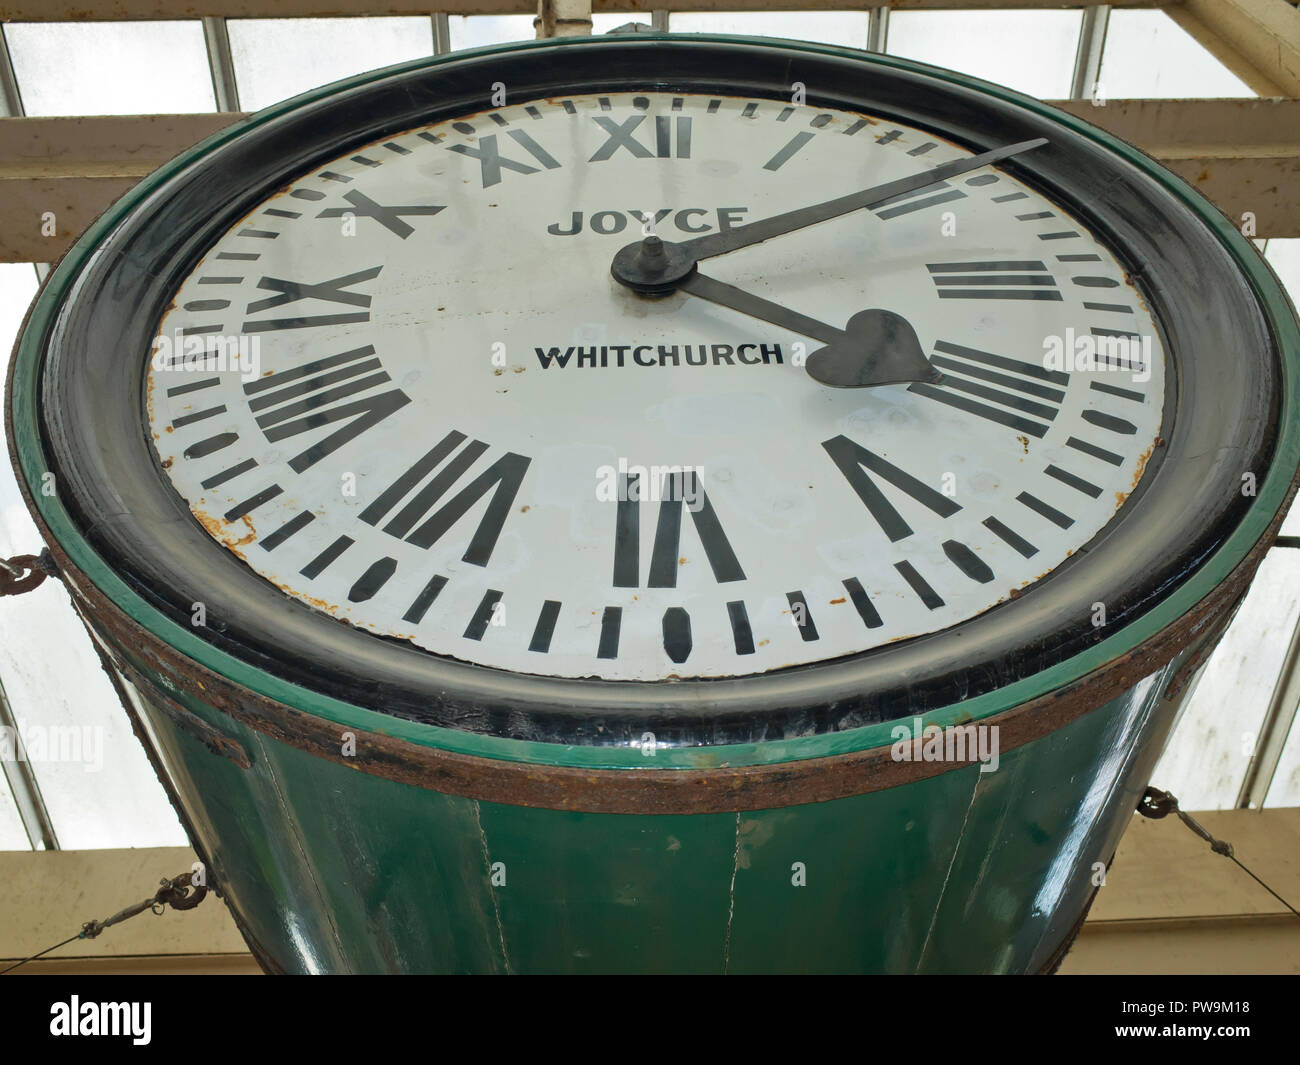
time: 4:10
